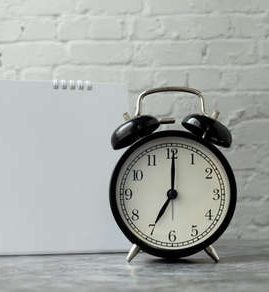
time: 7:00
